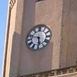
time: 5:47
